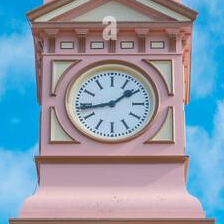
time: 1:43
